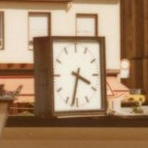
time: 3:32
